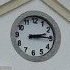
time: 2:14
